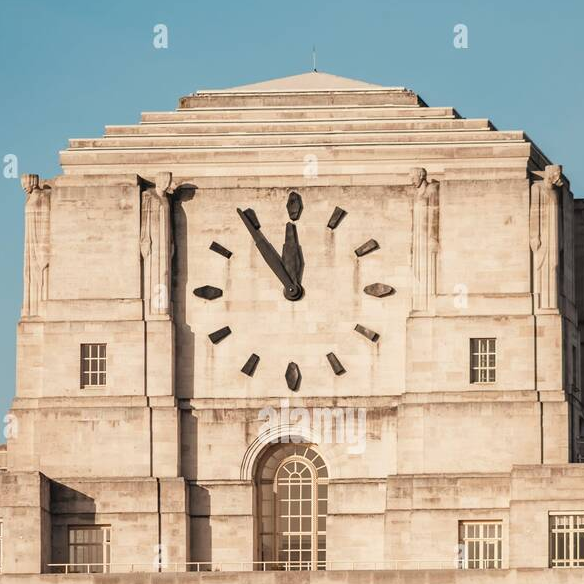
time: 11:54
